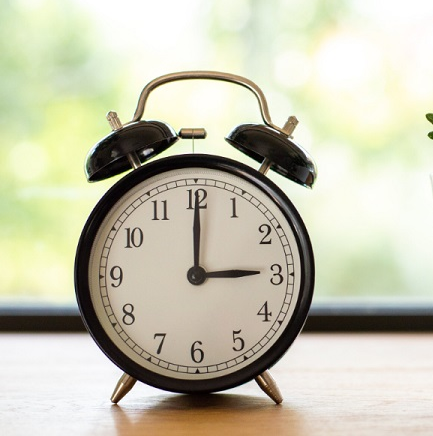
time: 3:00
